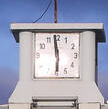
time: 5:58
